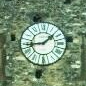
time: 1:44
